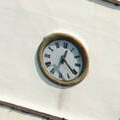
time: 12:21
